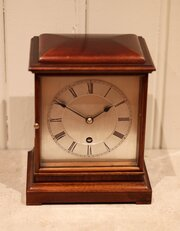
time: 1:50
